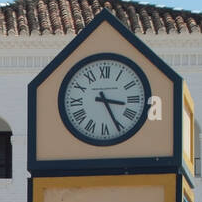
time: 3:25
